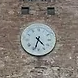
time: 4:33
